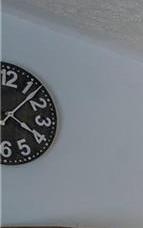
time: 4:07
